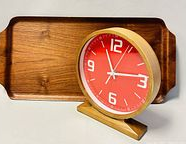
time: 11:13
